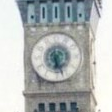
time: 6:26
